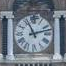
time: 11:12
